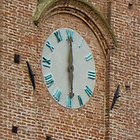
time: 6:00
